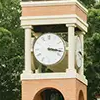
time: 3:17
